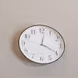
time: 12:19
